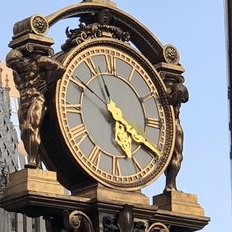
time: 5:20
